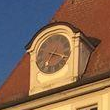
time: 3:34
